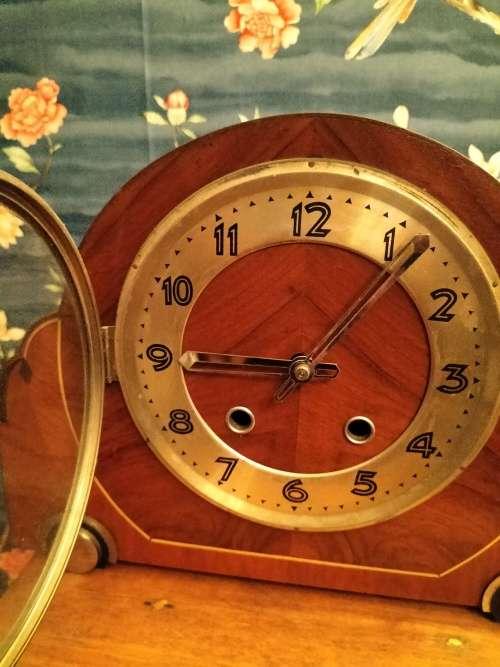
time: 9:06
